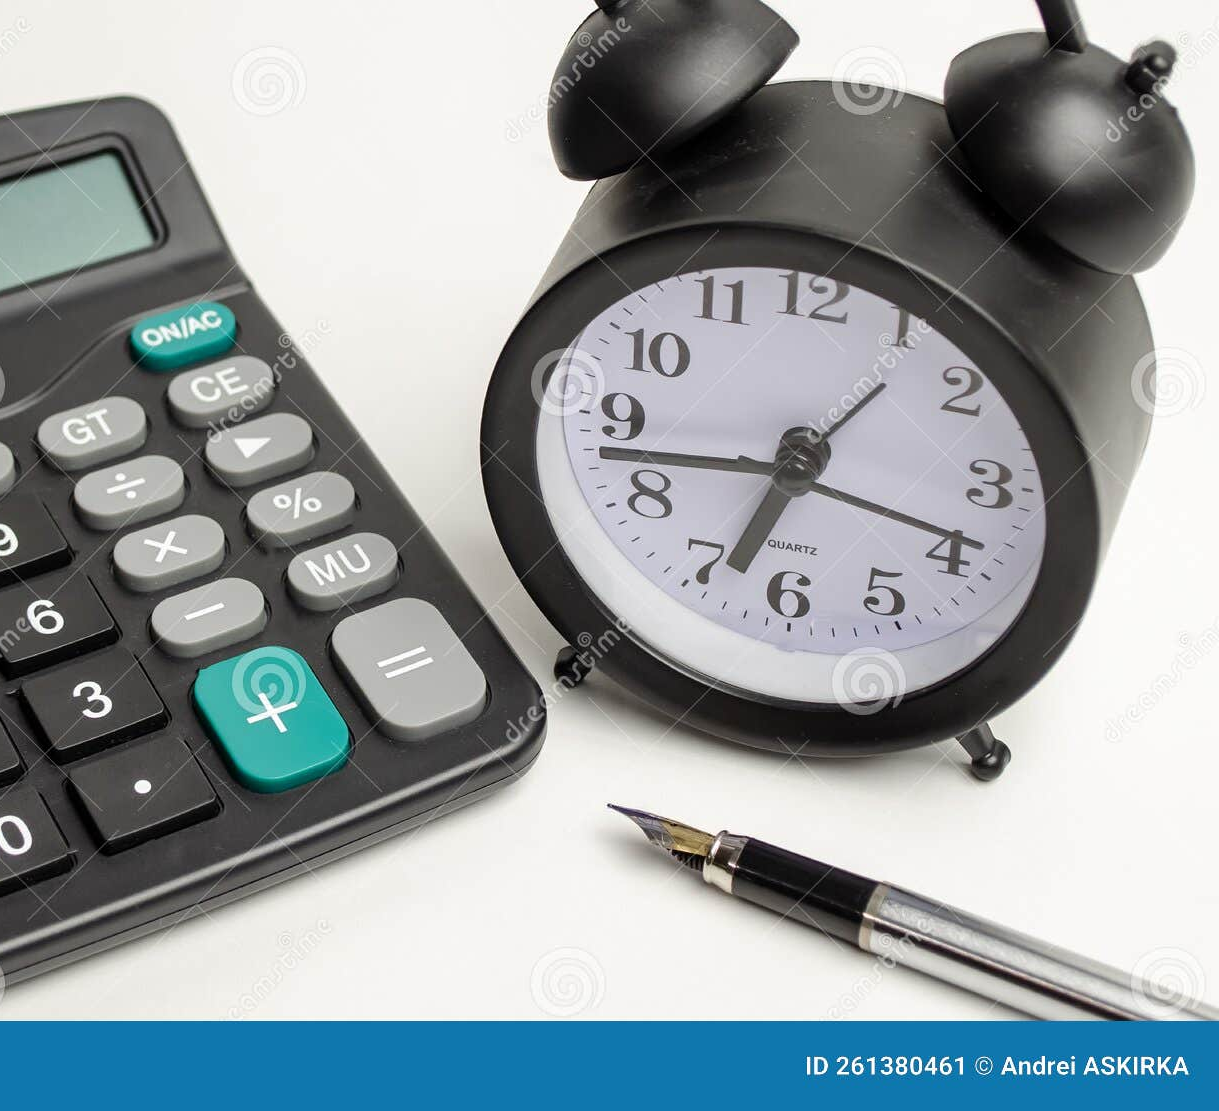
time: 6:42
